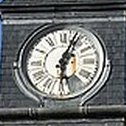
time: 6:03
